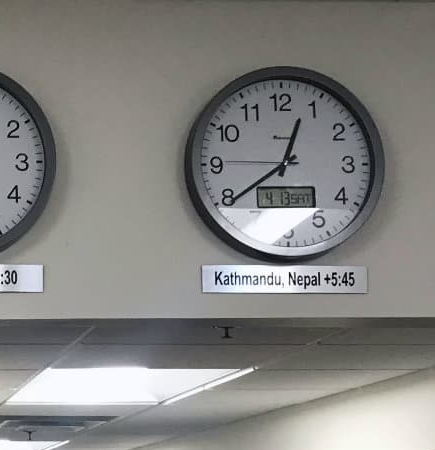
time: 12:39
